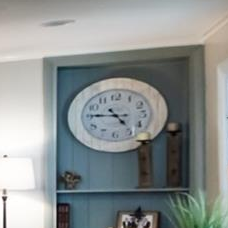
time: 4:46
